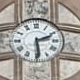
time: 2:29
